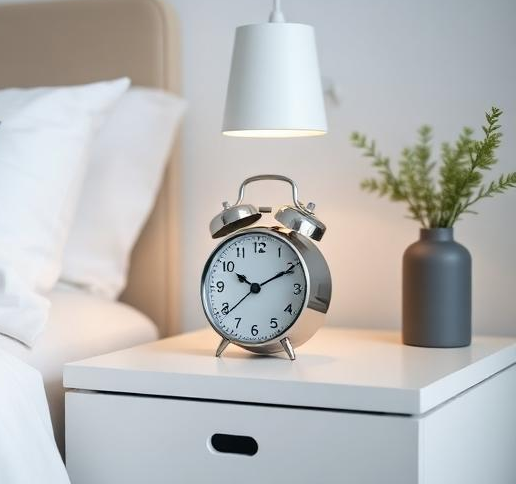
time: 10:10
